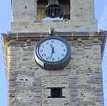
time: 11:32
